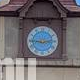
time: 2:45
